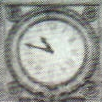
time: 10:47
